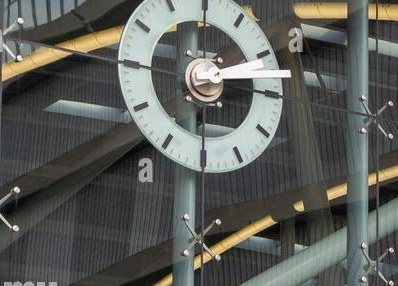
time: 2:14
